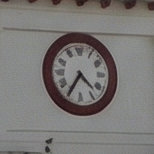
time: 4:35
